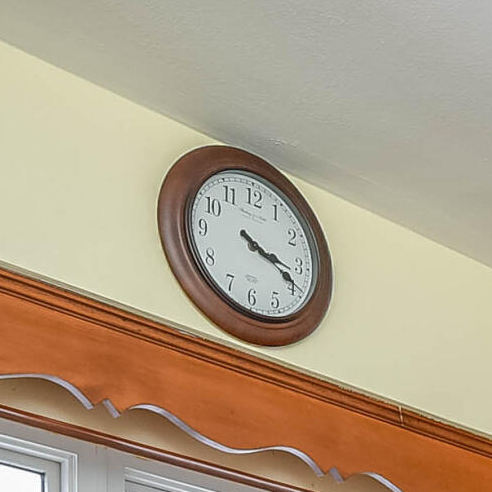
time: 3:18
